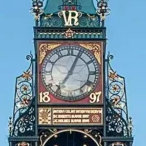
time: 7:04
